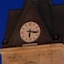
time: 6:16
